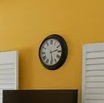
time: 2:29
